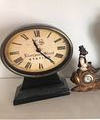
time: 11:24
